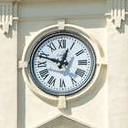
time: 12:48
